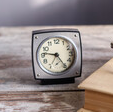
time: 4:46
